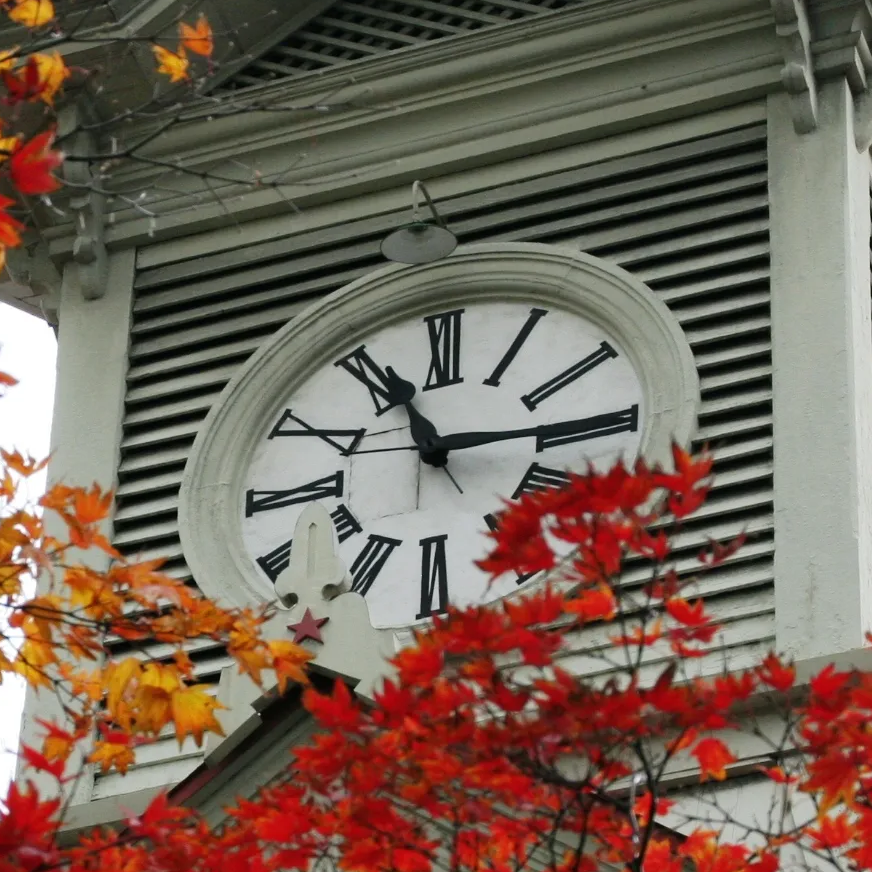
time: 11:14
